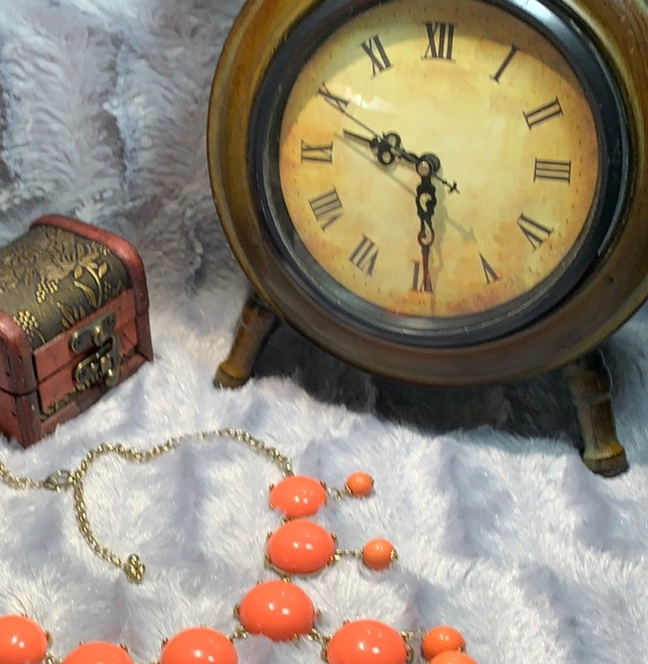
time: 9:29
